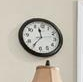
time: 11:35
